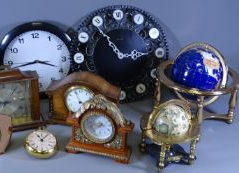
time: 2:54
